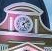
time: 5:08
